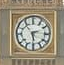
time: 2:29
